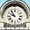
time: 9:54
